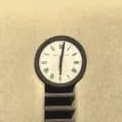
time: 6:01
